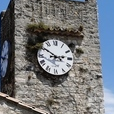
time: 2:50
